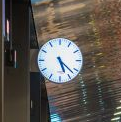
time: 5:22
